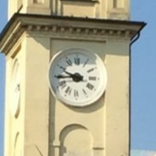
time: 9:44
